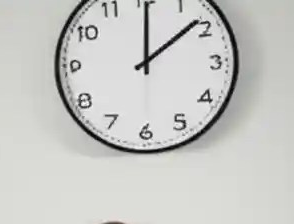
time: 12:08
